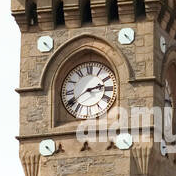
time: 2:39
